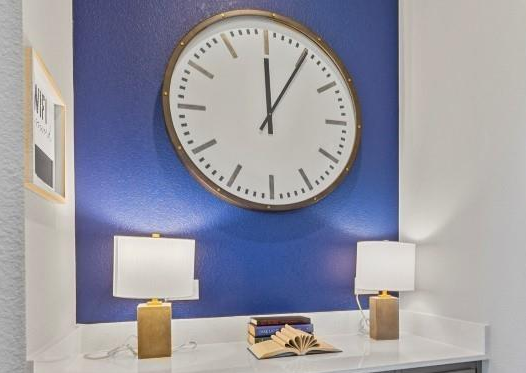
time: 12:05
